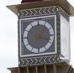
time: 1:18
